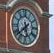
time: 5:38
